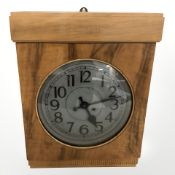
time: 5:12
